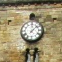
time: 12:07
